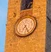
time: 7:25
